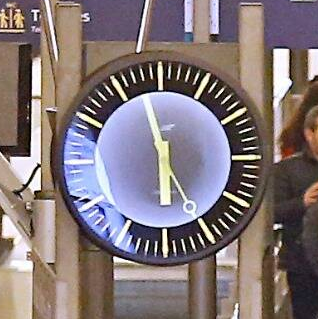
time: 5:57
